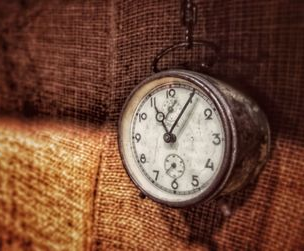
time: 11:05
